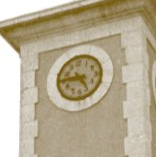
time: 4:45
